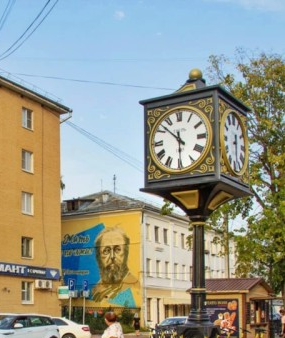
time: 5:51
